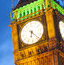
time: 6:23
